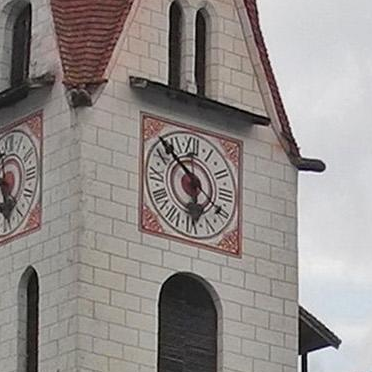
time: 5:52
